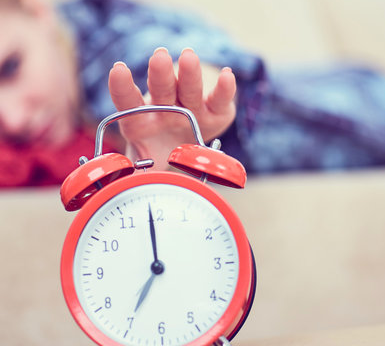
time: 6:59
